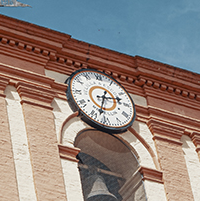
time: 2:32
